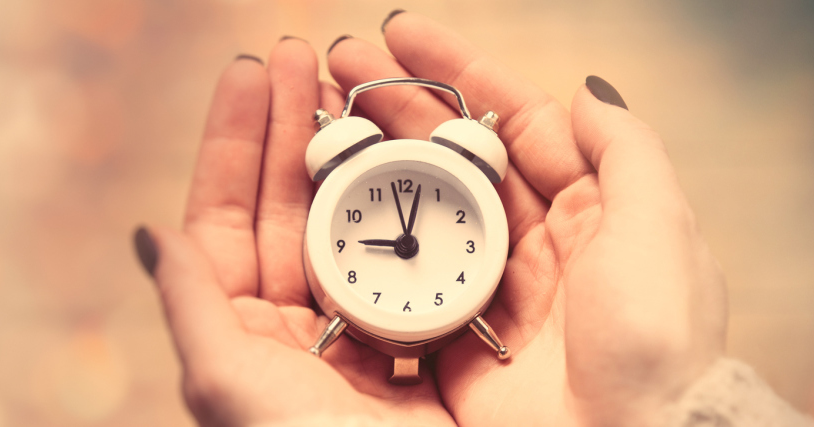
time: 9:02
